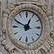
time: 12:49
